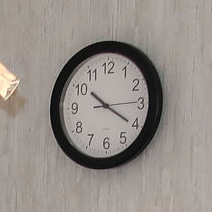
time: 10:20
